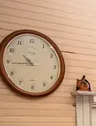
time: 10:44
